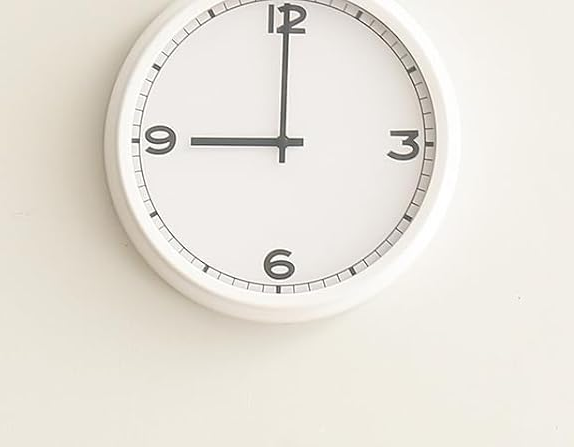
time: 8:59
